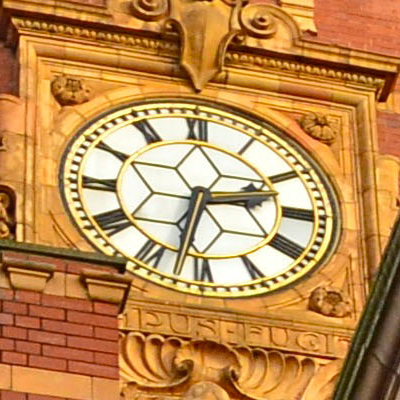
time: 2:32
